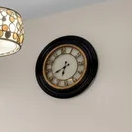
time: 6:41
